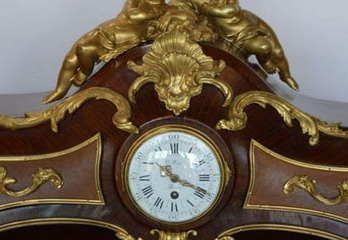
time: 10:18
